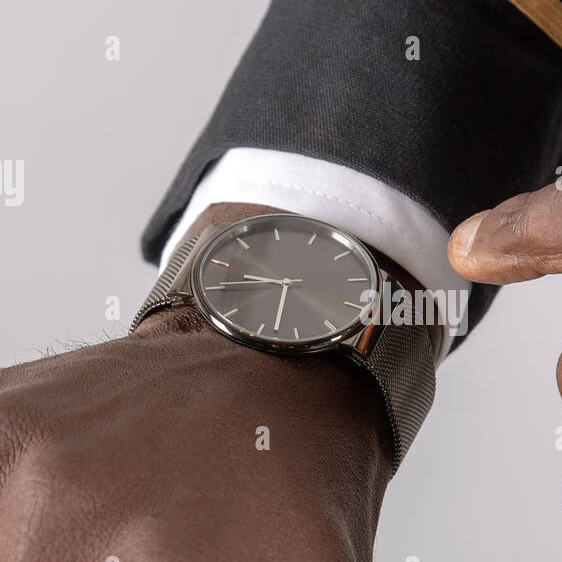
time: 9:32
